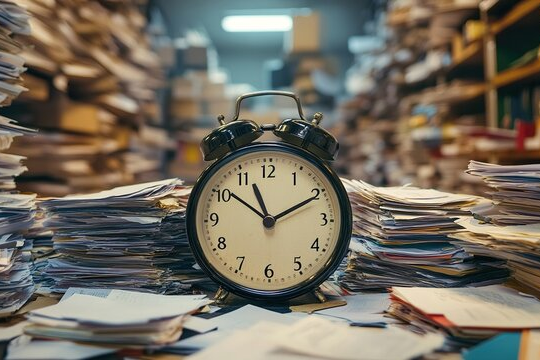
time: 11:10
